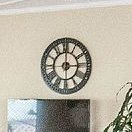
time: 3:00
